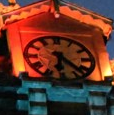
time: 6:21
